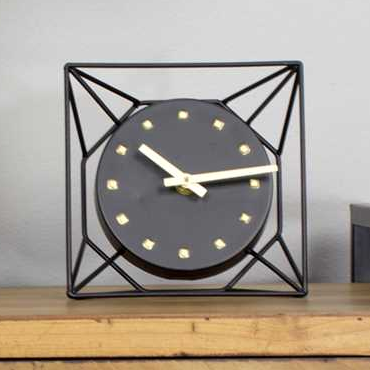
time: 10:13
